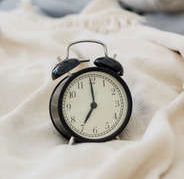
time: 6:59
